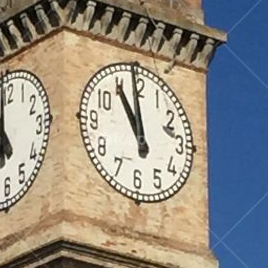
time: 10:59
